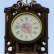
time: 4:46
